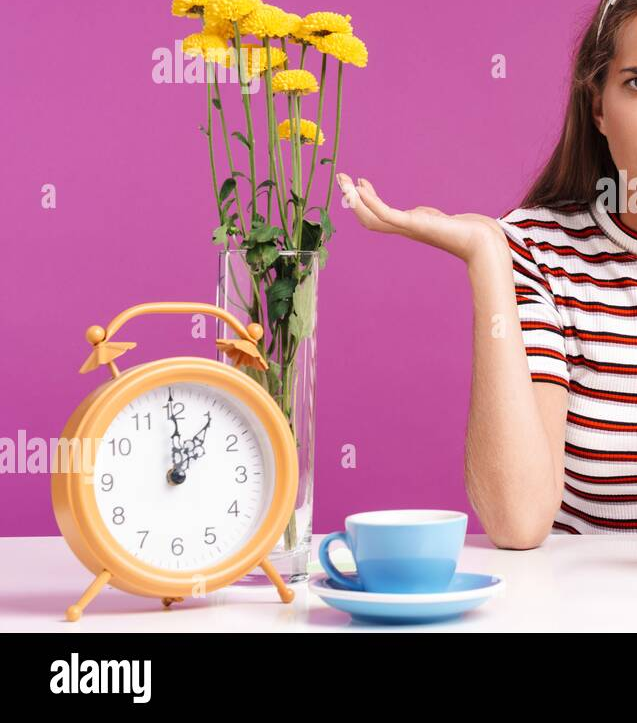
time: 1:00
